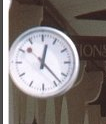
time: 12:23
